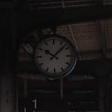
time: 10:07
